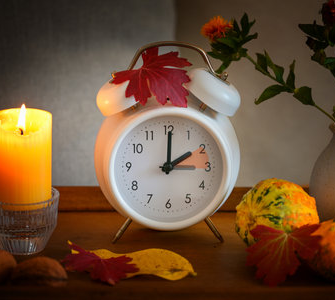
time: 2:00
